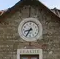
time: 8:35
